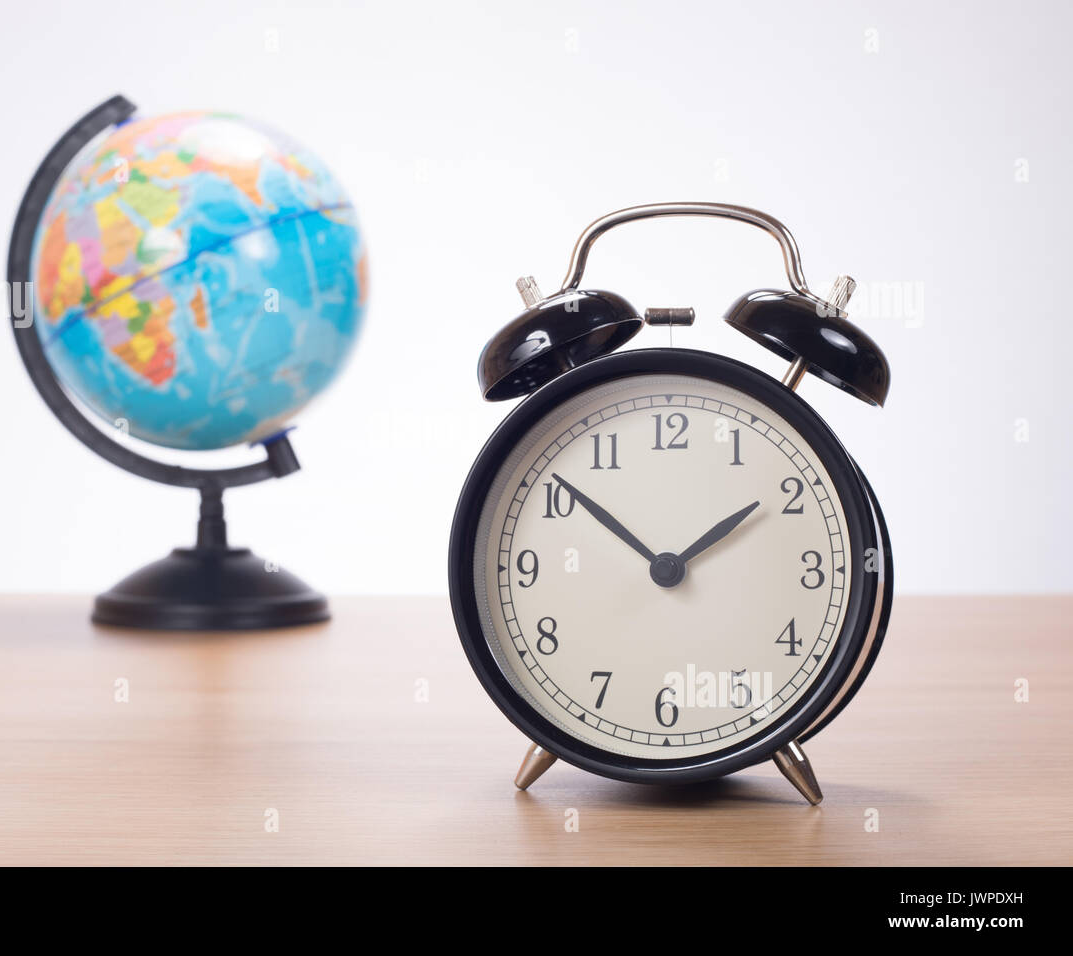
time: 1:51
